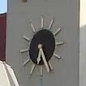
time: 6:25
